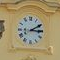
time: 3:09
